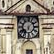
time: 6:08
